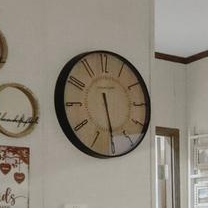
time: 5:29
